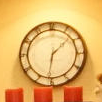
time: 1:31
